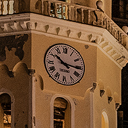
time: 10:15
